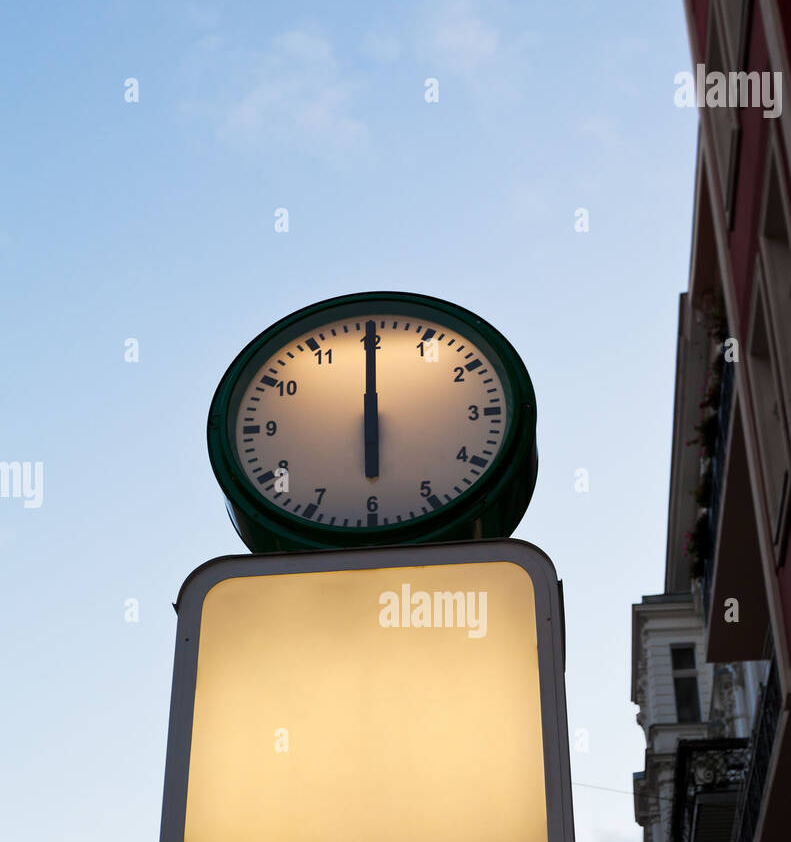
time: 5:59
